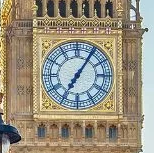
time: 7:05
